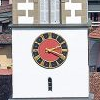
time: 2:18
